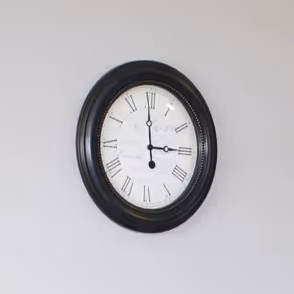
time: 2:59
